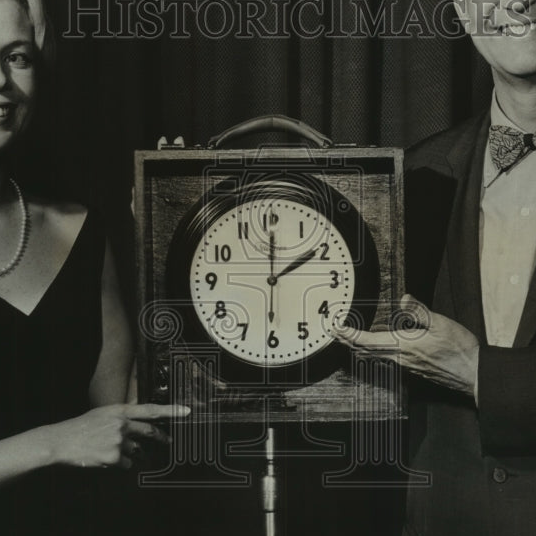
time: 2:00
